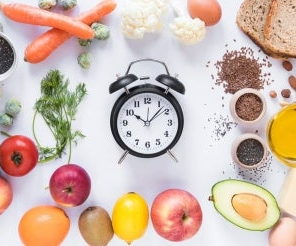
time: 10:07
